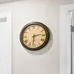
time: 2:31
